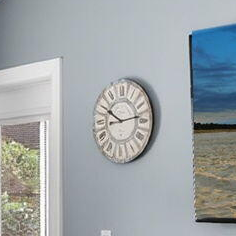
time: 10:13
